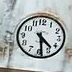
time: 4:28
